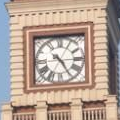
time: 10:24
